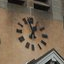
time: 12:57
